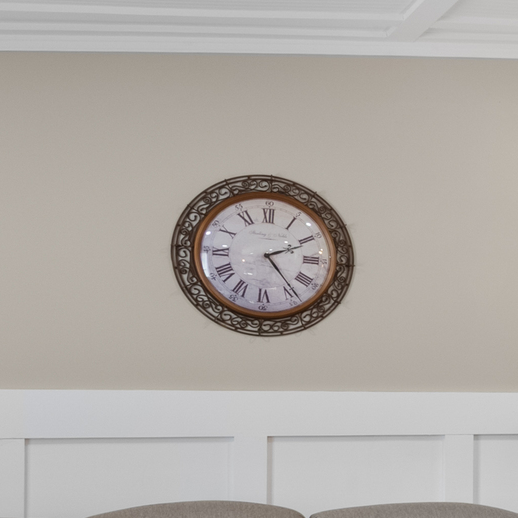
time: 2:23
